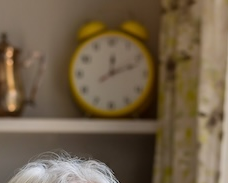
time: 12:11
